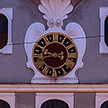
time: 9:42
